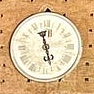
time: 11:27
